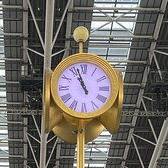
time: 10:56
